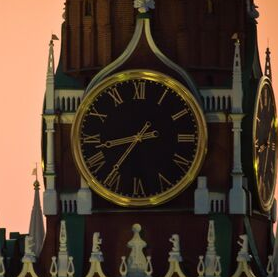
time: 8:35
